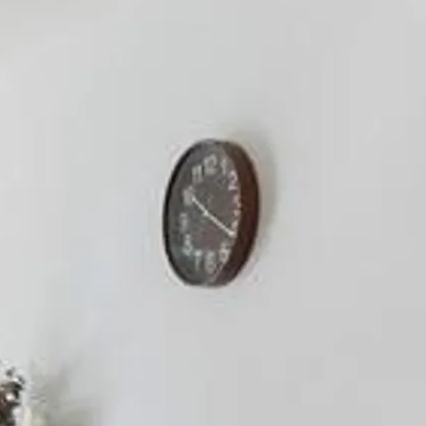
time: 10:20
